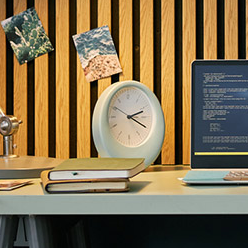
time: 2:19
